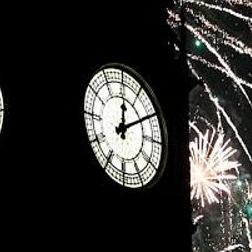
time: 12:09
